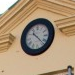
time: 10:22
